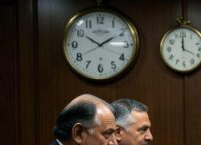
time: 1:50
